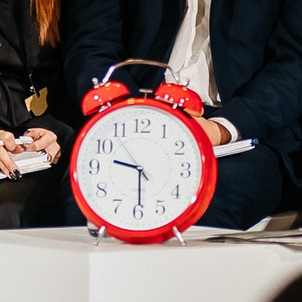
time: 9:29
